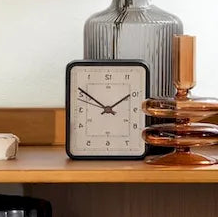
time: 1:50
